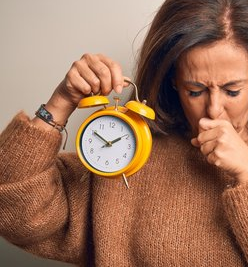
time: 1:50
